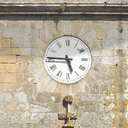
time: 5:45
